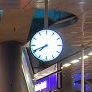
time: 7:41
